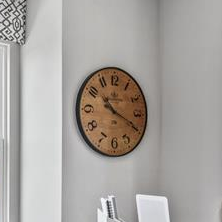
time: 10:19
